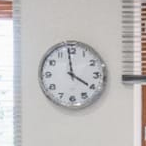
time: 3:58
